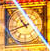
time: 10:42
